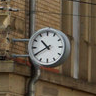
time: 10:40
